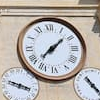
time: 1:37
